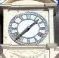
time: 1:37
